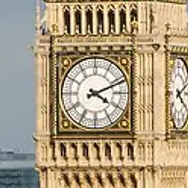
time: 4:11
